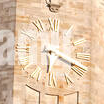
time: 6:18
